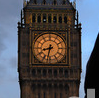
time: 8:32
